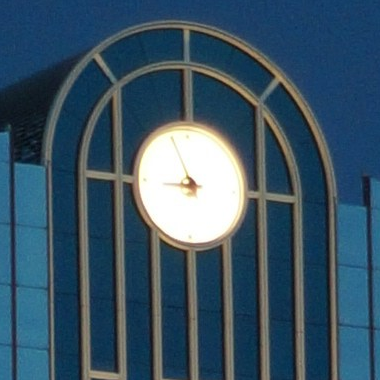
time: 8:55
